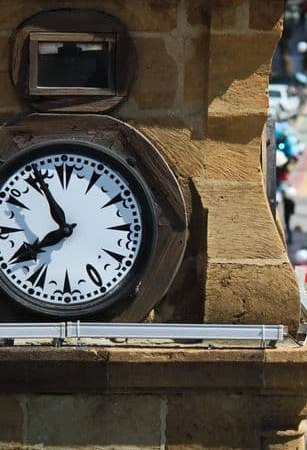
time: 7:55
